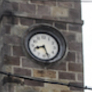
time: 8:26
